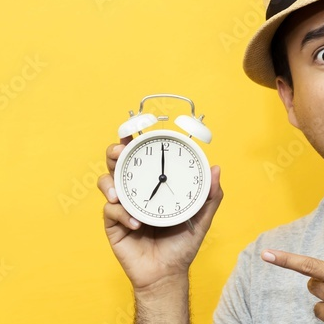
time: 6:59
